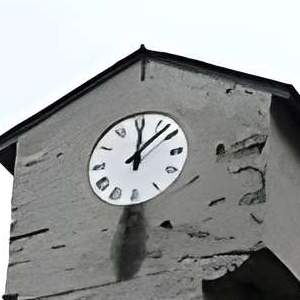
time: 12:07
